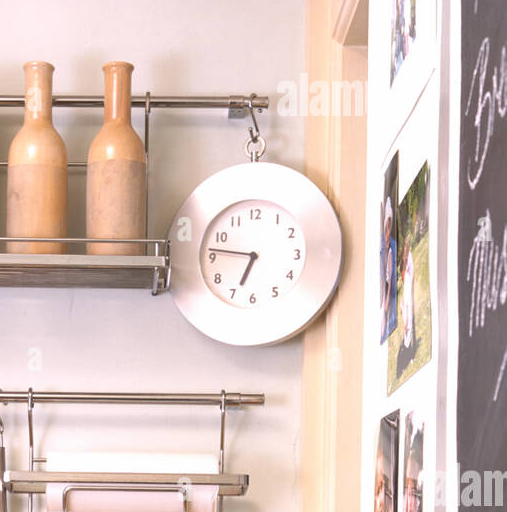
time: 6:46
